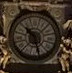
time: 10:28
